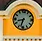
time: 8:33
